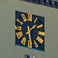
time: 1:28
